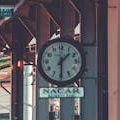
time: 1:30
